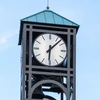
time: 6:07
